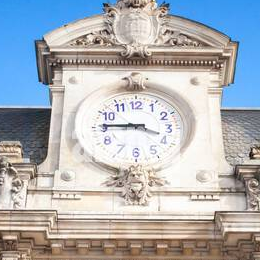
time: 3:45
